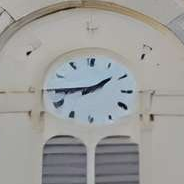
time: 1:44
